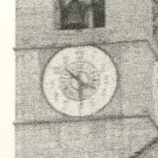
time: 10:29
